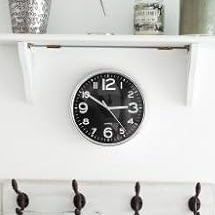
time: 2:50
